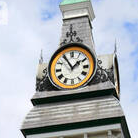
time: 1:54
